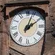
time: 2:03
